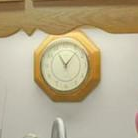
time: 11:07
